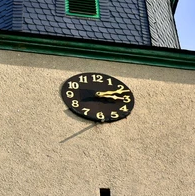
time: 3:11
